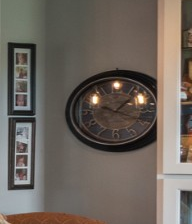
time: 1:18
